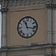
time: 11:16
